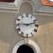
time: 9:12
